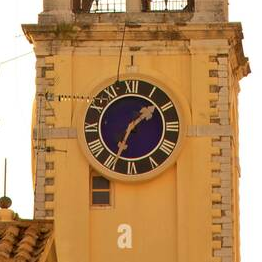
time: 1:34
